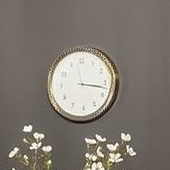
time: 3:17
